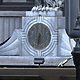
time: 6:32
